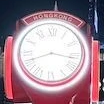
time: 8:16
